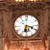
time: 6:18
